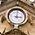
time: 3:02
